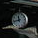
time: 11:42
